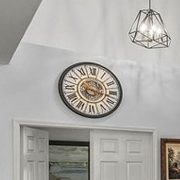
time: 3:17
